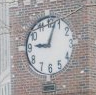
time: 9:02
